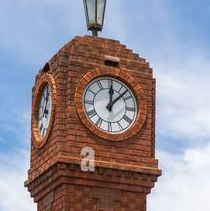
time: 12:07
